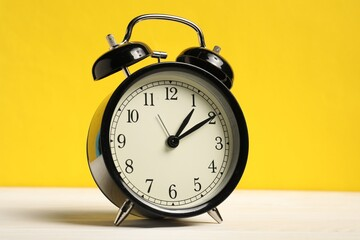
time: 1:09
